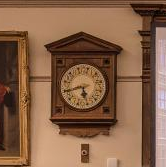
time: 5:43
